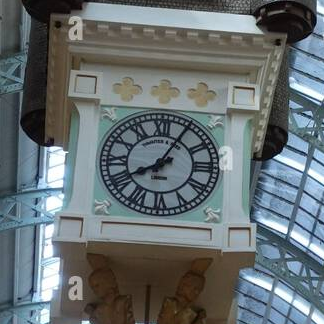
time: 8:05
